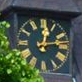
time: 12:13
